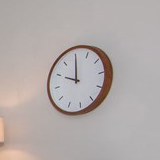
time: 10:00
